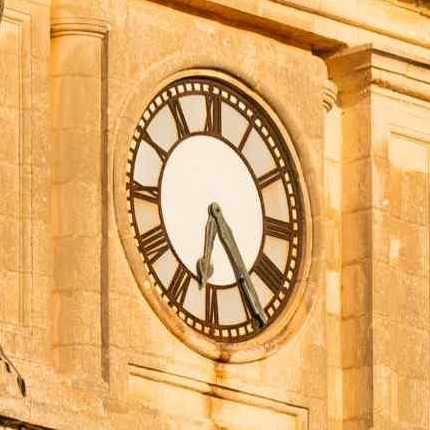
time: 6:24
